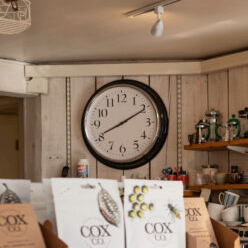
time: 8:10
